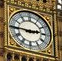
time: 2:45
